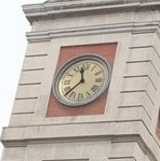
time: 11:37
